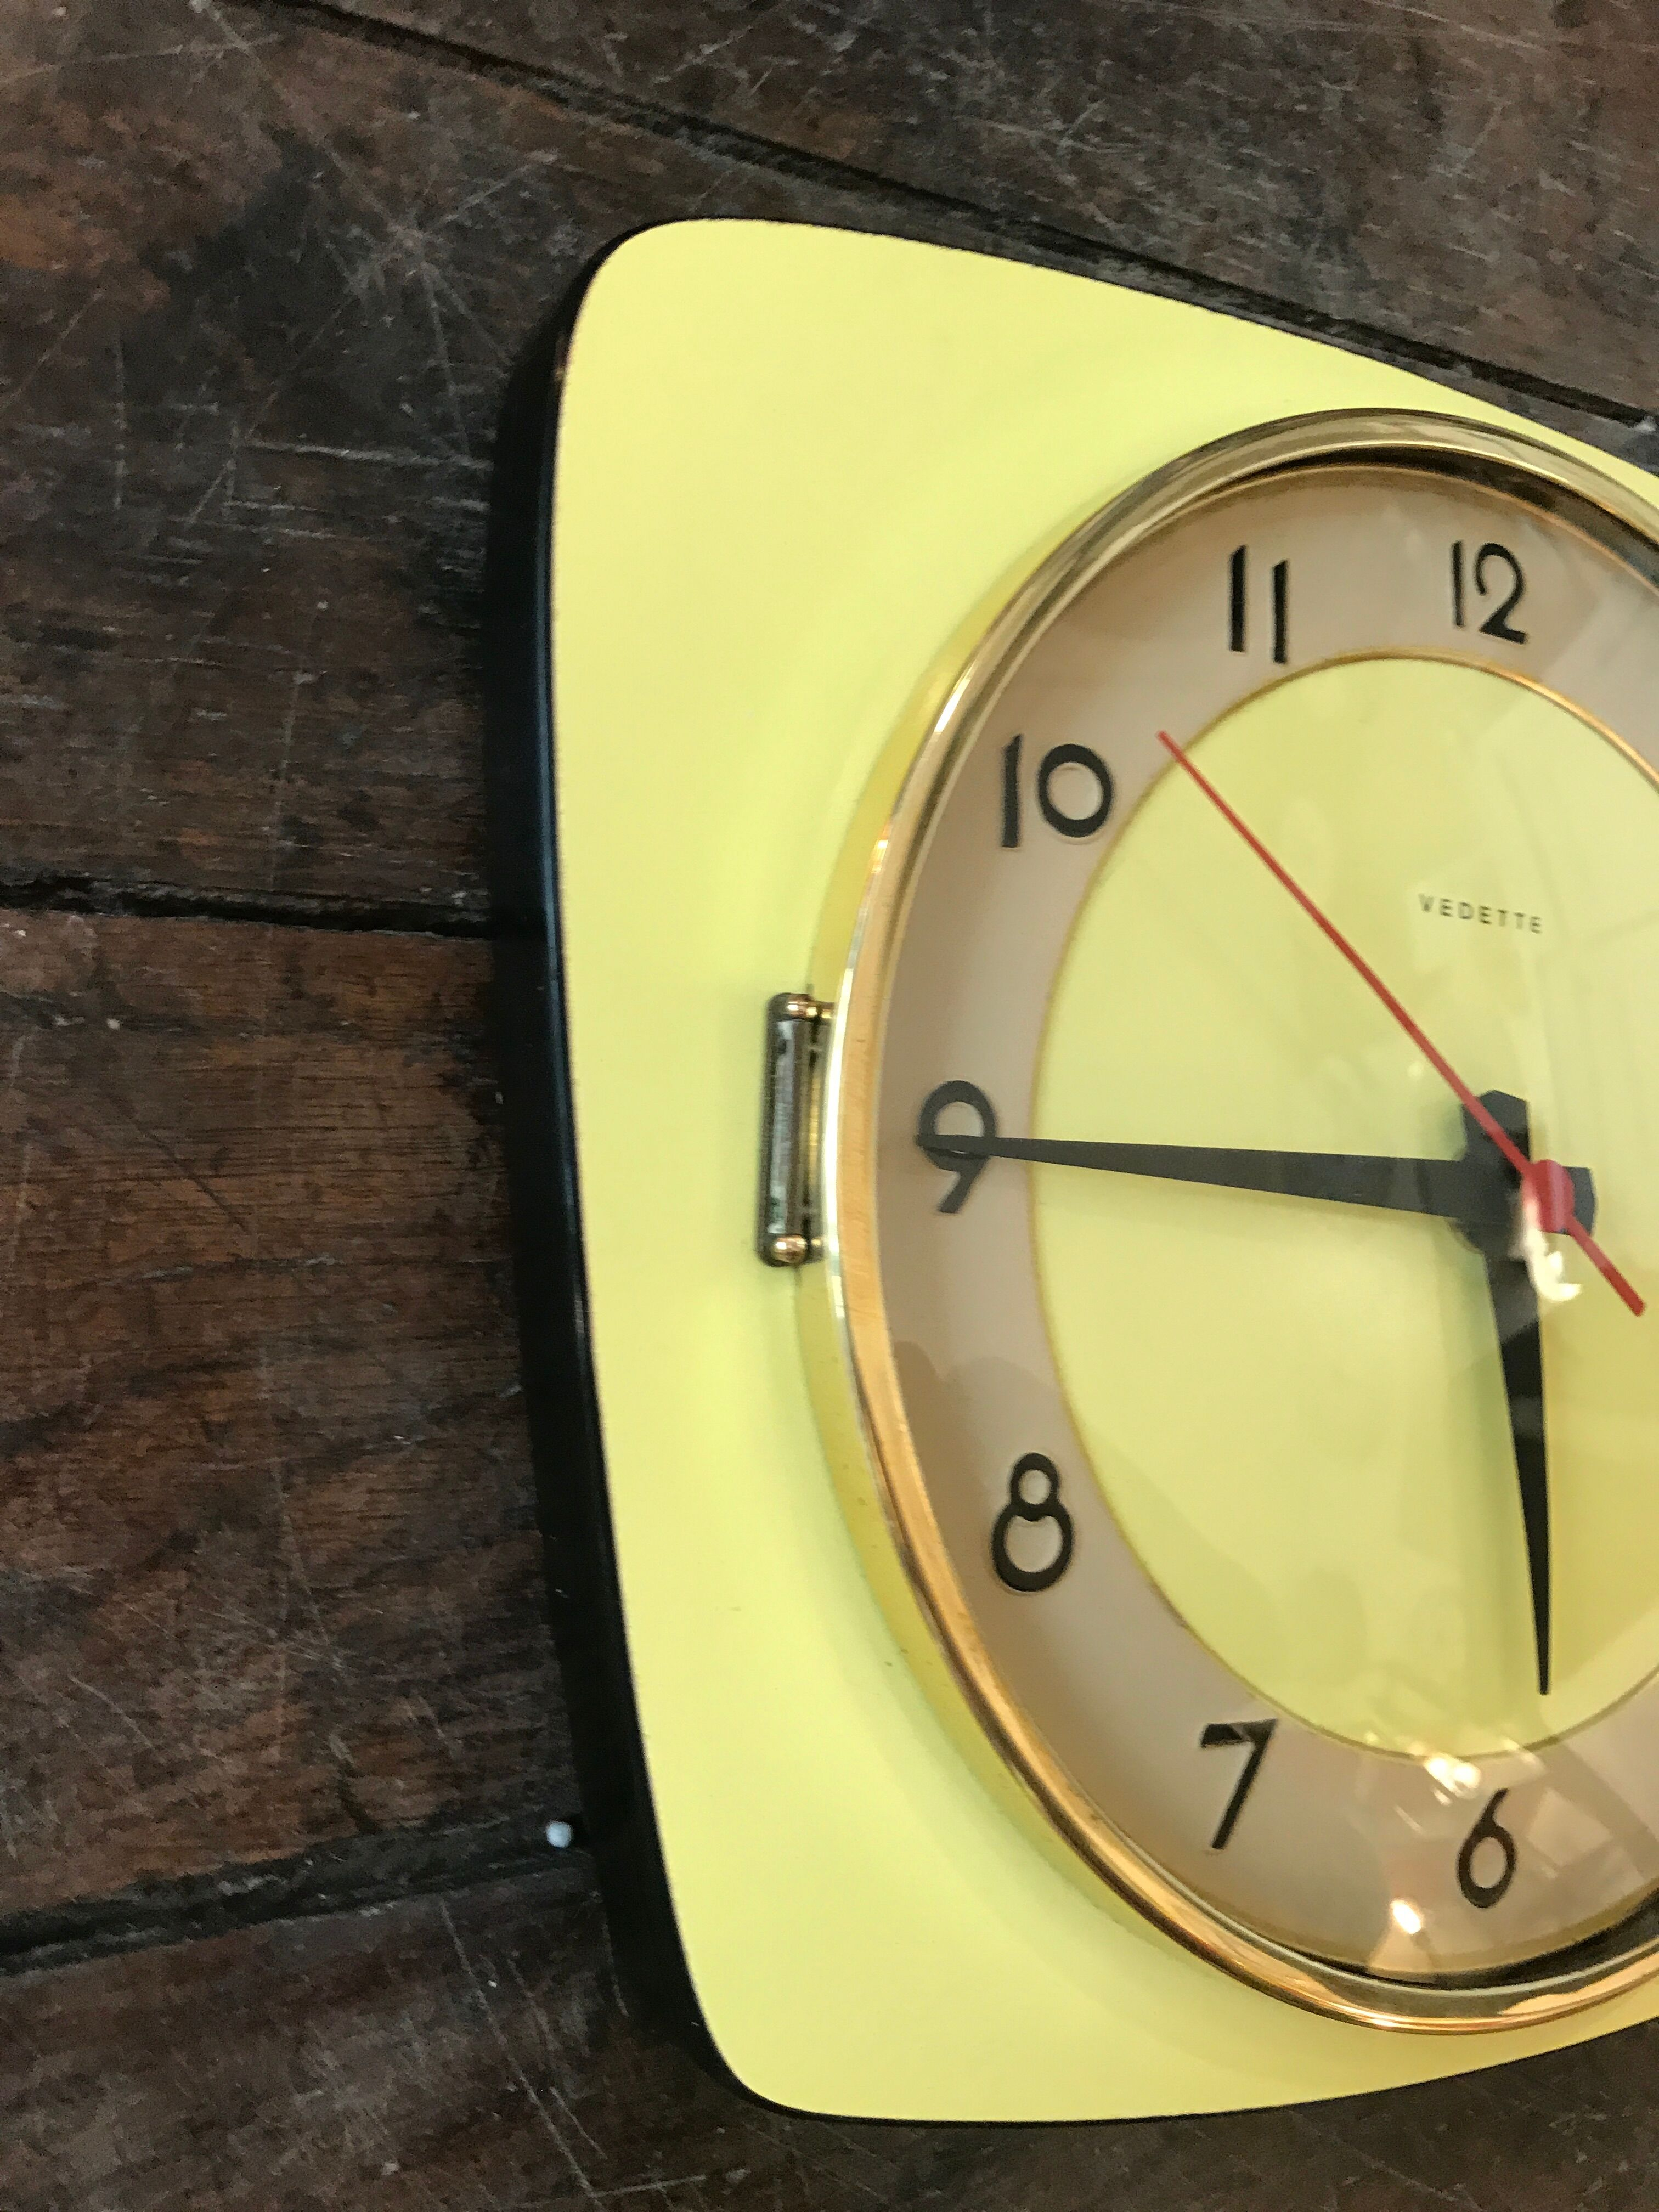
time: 5:44
